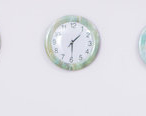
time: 1:29
